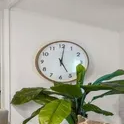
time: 5:01
